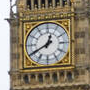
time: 12:40
